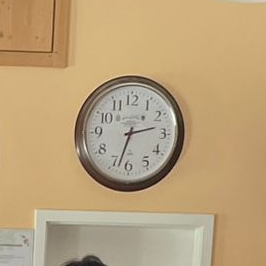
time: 2:33
